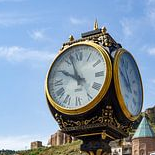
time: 9:57
